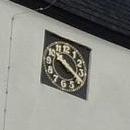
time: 9:20
